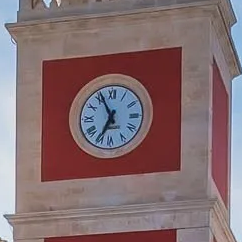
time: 6:55
